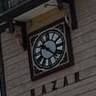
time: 10:22
